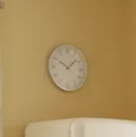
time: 10:08
